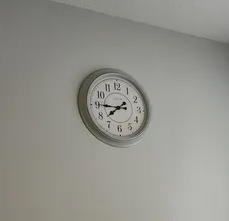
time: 7:45
